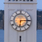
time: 6:14
